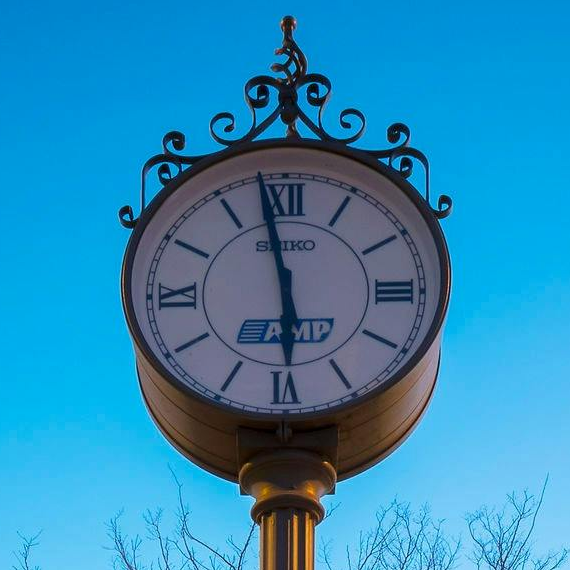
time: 5:58
